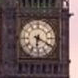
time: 6:19
